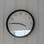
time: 3:45
